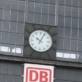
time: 10:04
